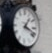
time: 1:18
